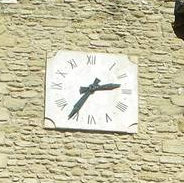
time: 2:35
